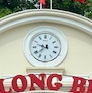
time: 9:38
